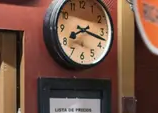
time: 8:17
